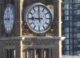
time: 8:59
